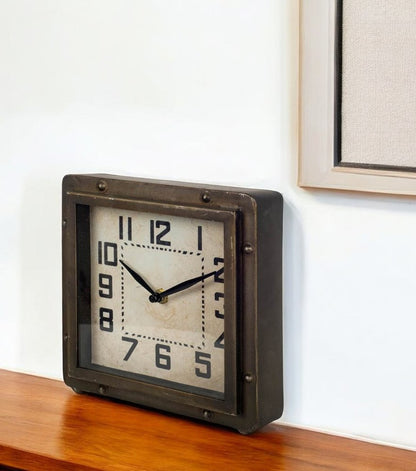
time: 10:10
